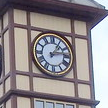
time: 1:13
